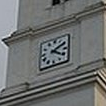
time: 4:09
